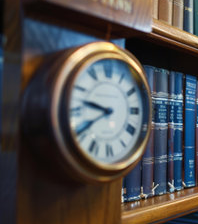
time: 9:40
